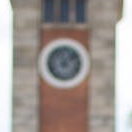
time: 11:07
